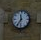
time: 11:35
